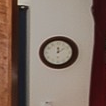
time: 12:09
